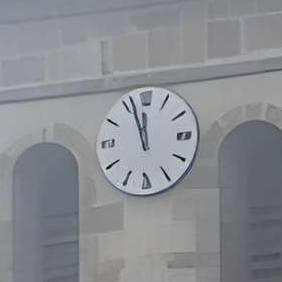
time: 11:56
